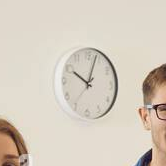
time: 10:03
